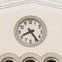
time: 8:24
